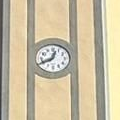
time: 12:40
